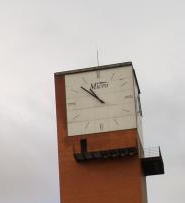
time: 10:52
